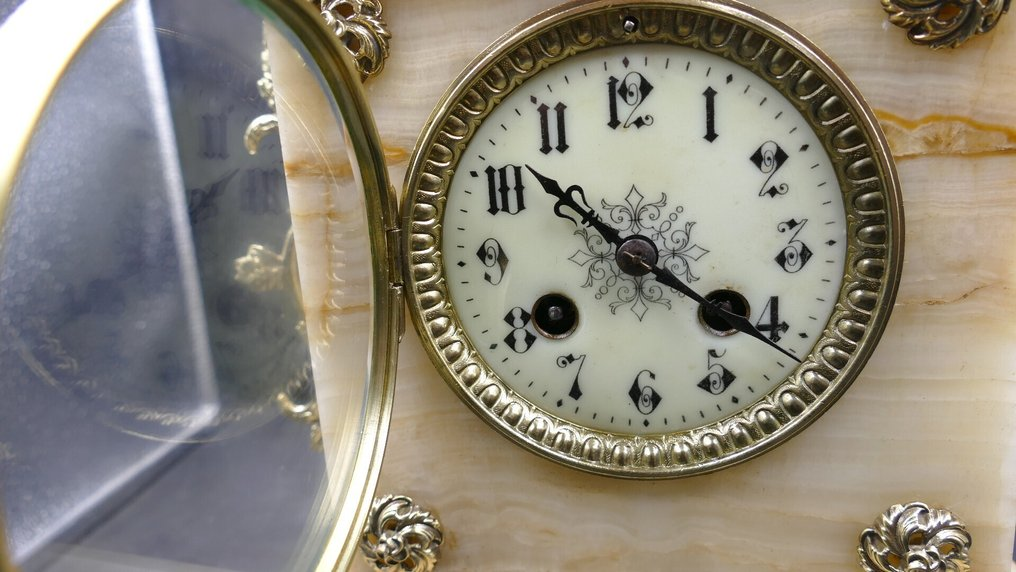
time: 10:20
